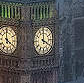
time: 4:00
